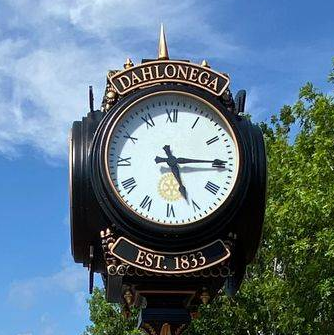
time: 5:14
